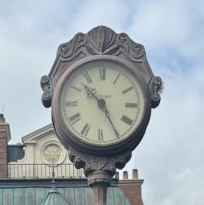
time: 10:25
